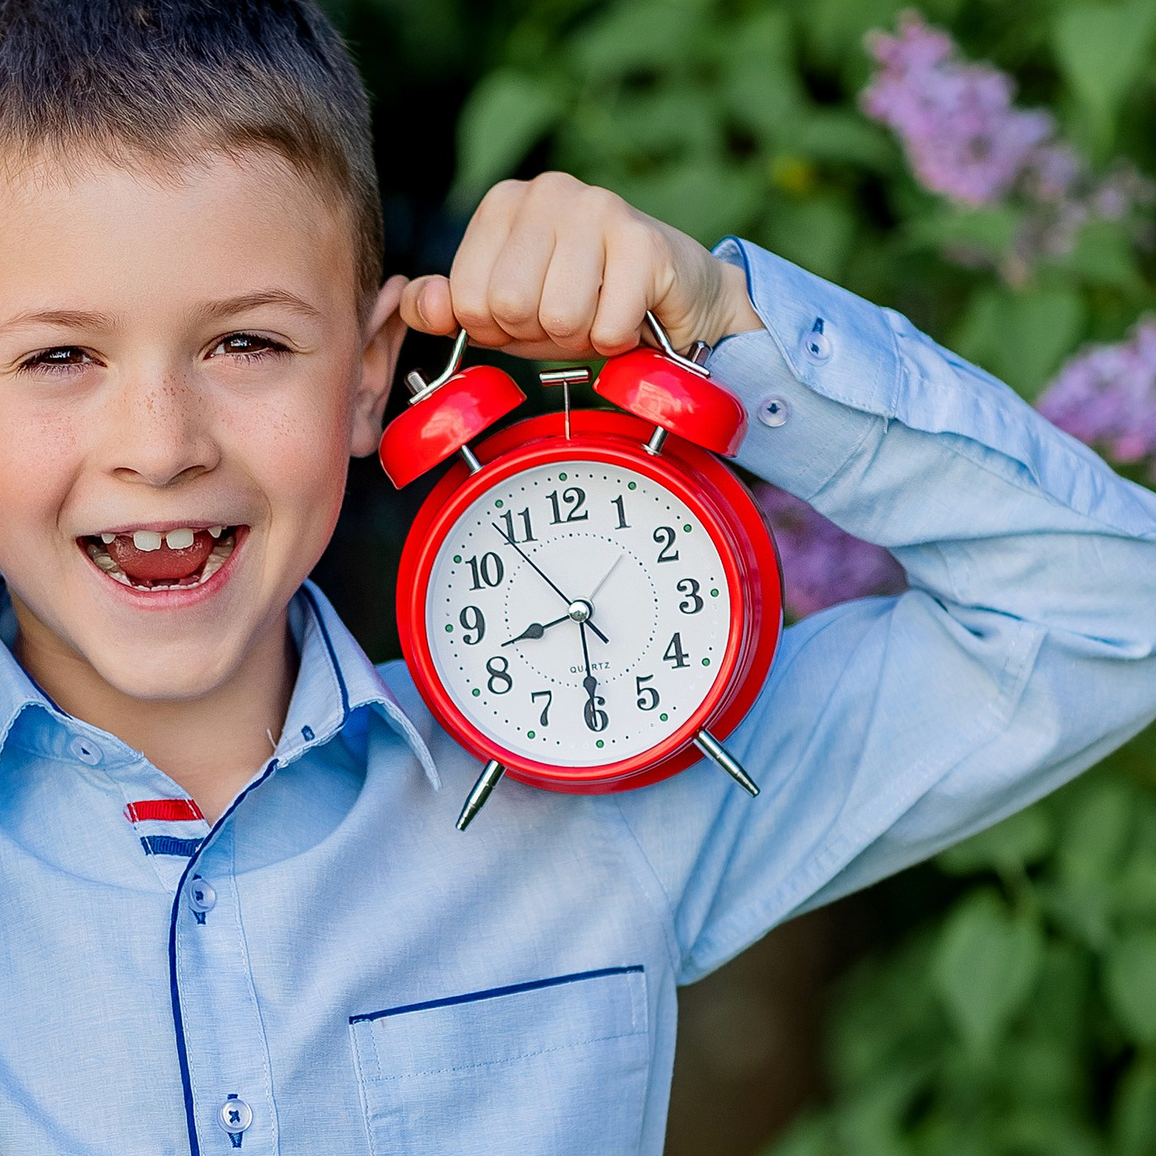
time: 8:30
